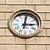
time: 3:01
